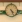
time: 4:26
